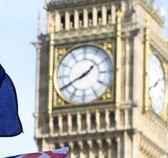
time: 1:40
